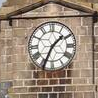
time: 1:34
